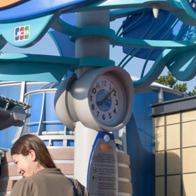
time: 8:07
